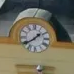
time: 1:39
